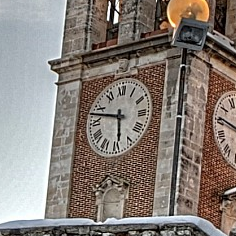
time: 5:47
